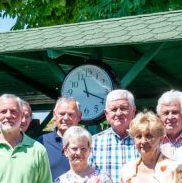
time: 11:18
